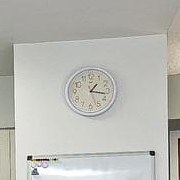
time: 1:16
